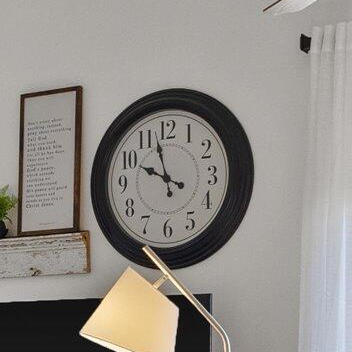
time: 9:57
